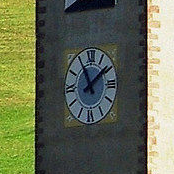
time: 11:08
